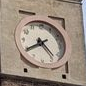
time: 4:39
